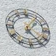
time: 1:24
